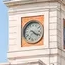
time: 4:18
